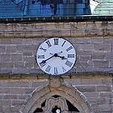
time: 3:40
